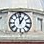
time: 12:58
